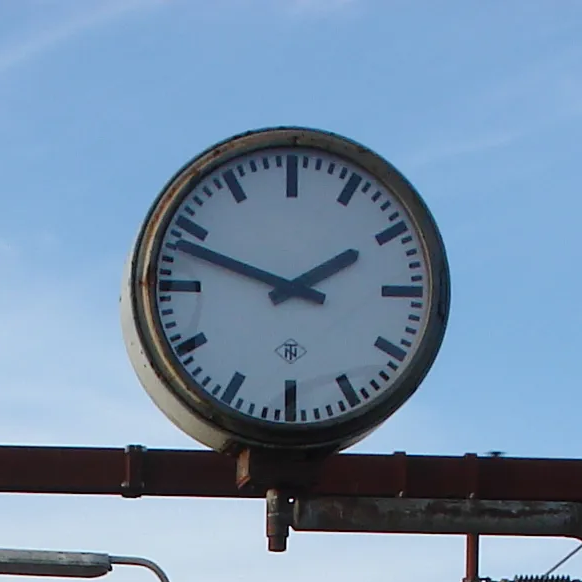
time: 1:48
